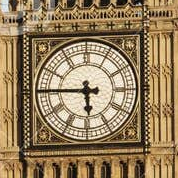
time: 5:45
